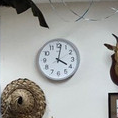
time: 4:01
